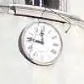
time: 11:46
